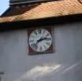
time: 2:38
